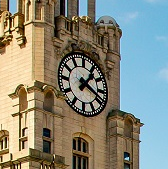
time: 1:18
